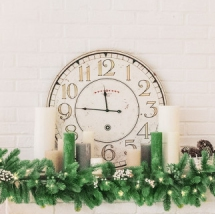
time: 11:46
